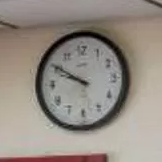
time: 9:50
